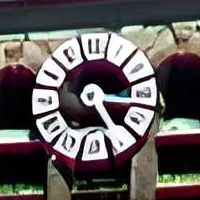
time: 5:17
